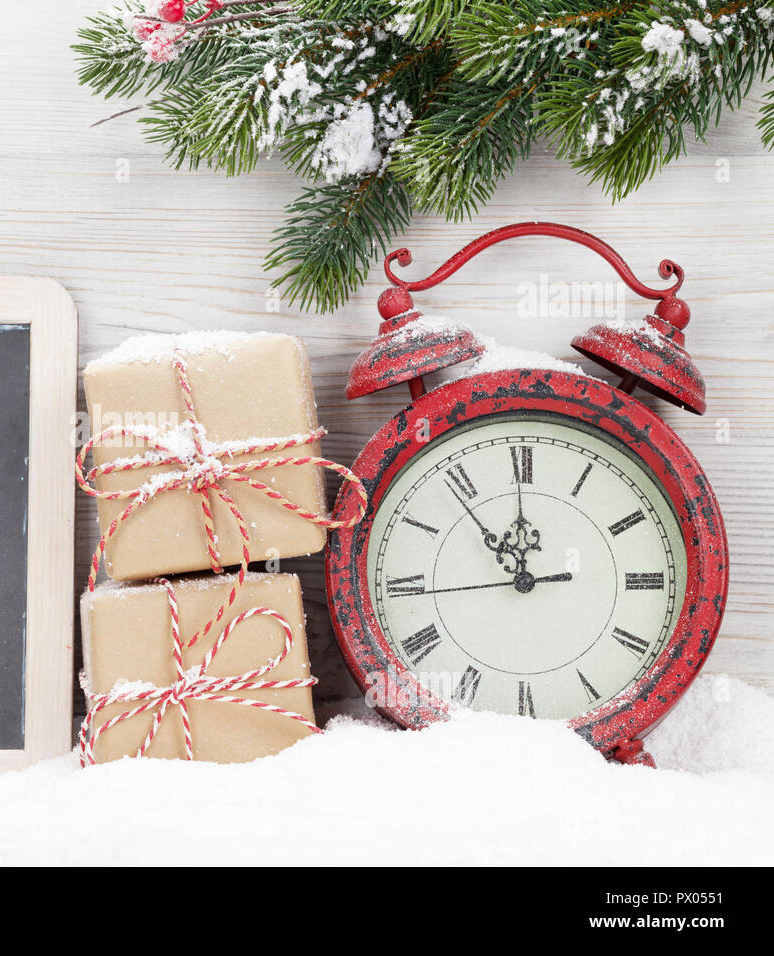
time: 11:53
